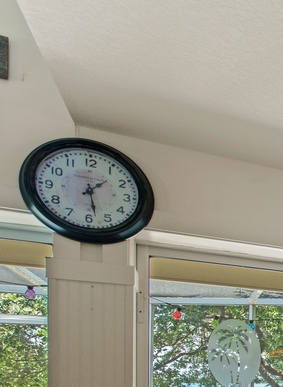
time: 1:28
